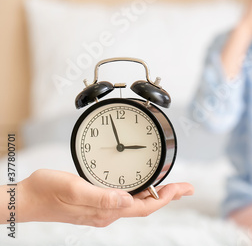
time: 2:57
